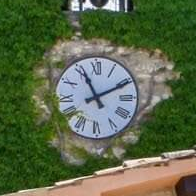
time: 11:10
